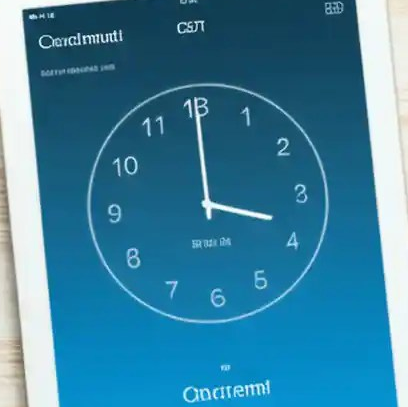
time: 4:00
